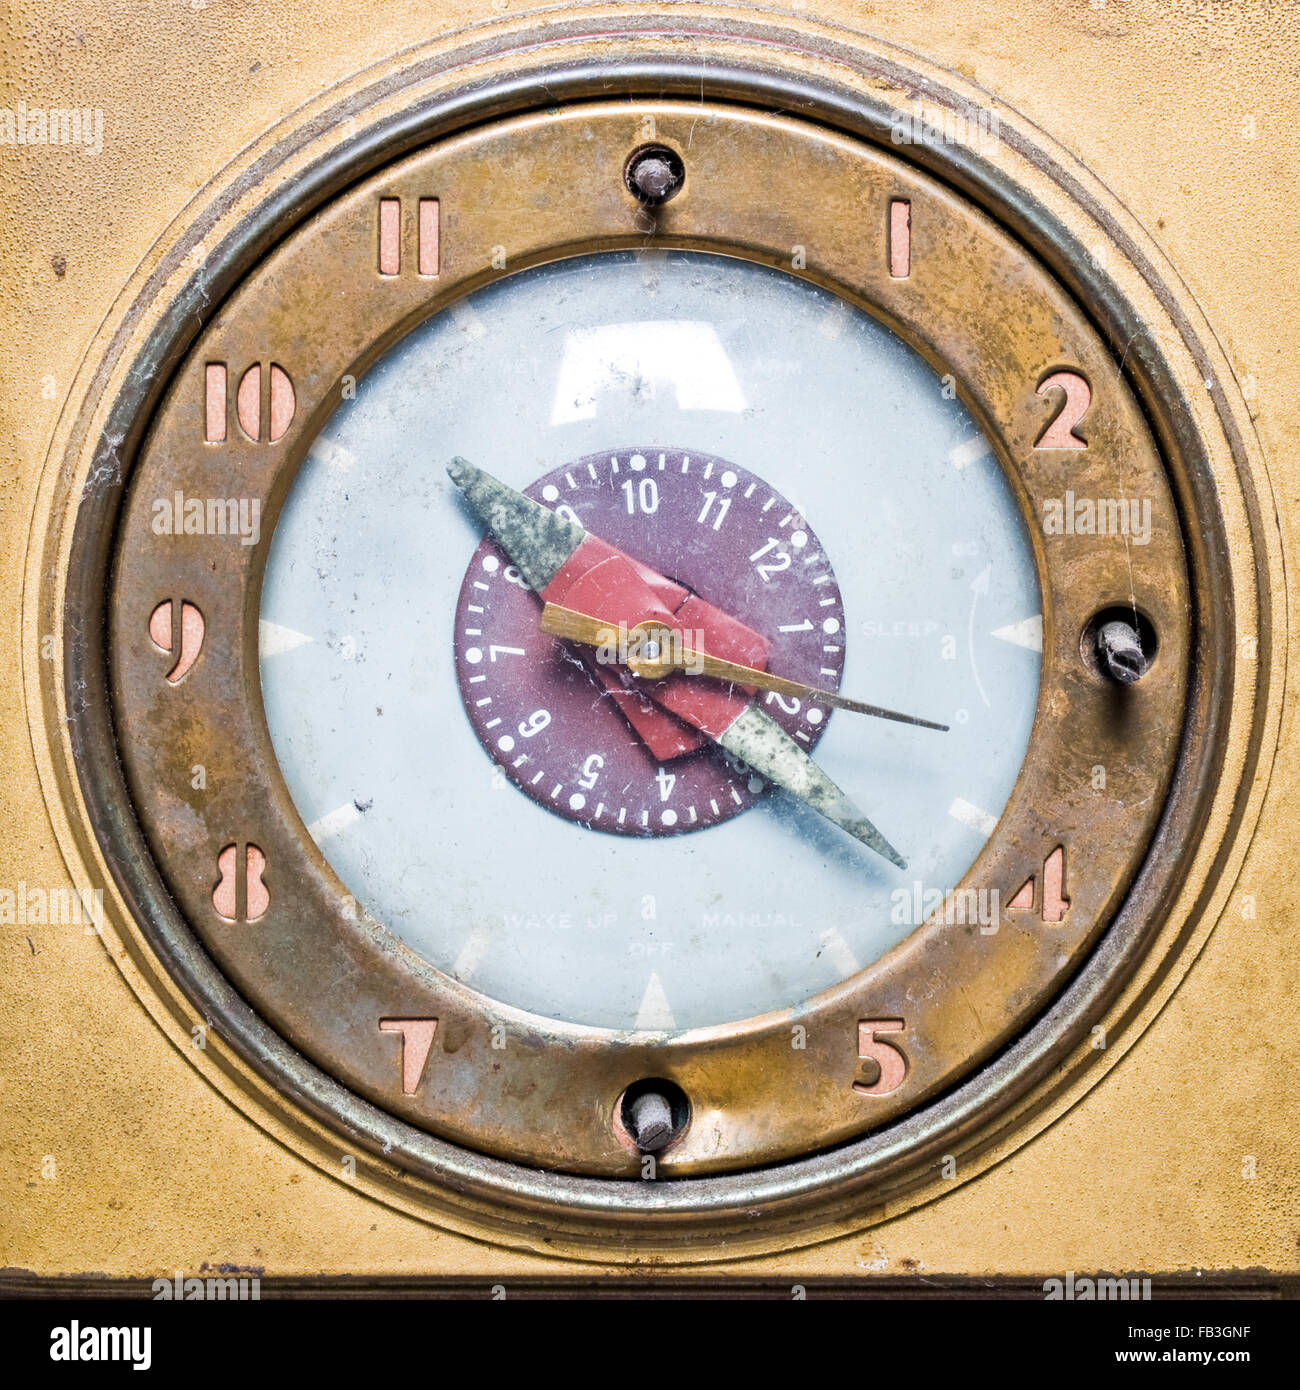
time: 4:16
